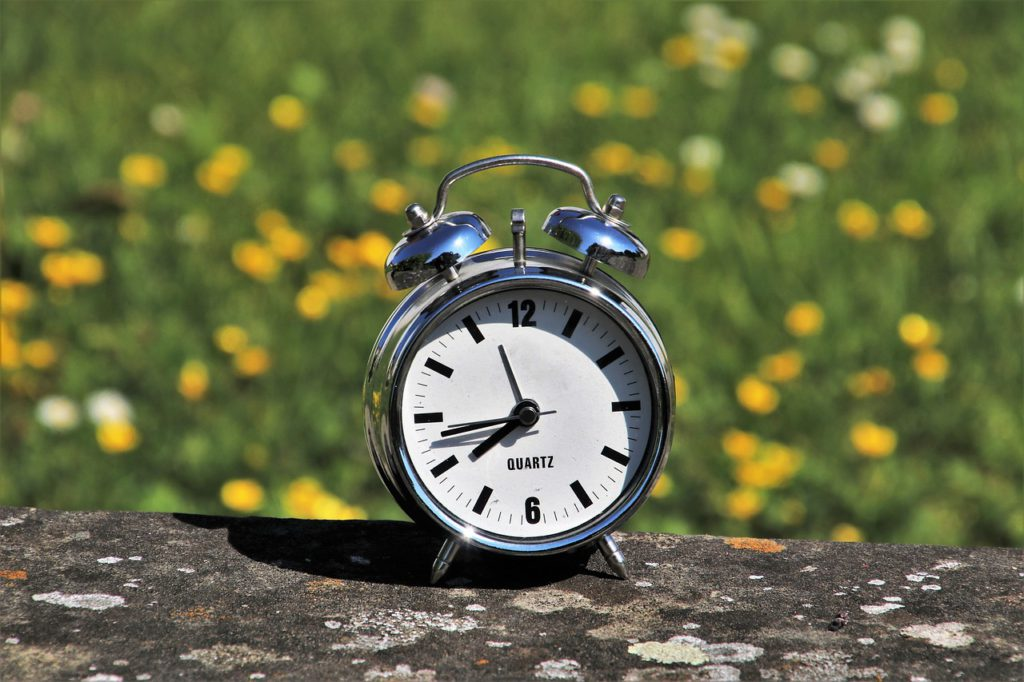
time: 7:43
